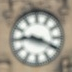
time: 9:19
